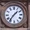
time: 1:36
